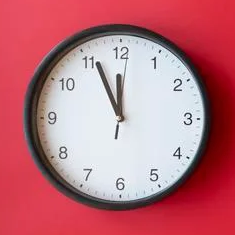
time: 11:56
